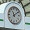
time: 11:09
